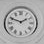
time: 1:49
